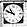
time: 10:48
